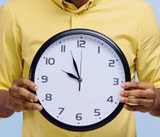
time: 9:56
